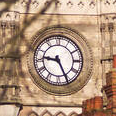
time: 9:25
